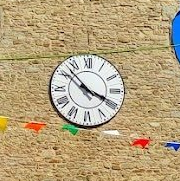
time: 3:52
